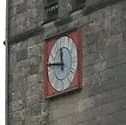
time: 11:46
